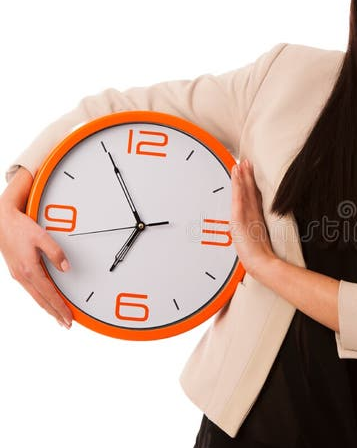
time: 6:55
